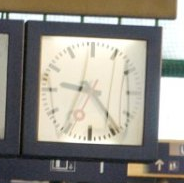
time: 9:23
